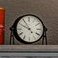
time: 9:54
